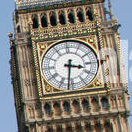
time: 3:31
